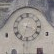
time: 3:33
